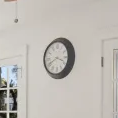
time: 3:40
